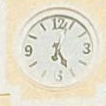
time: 5:03
